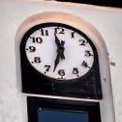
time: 11:32
